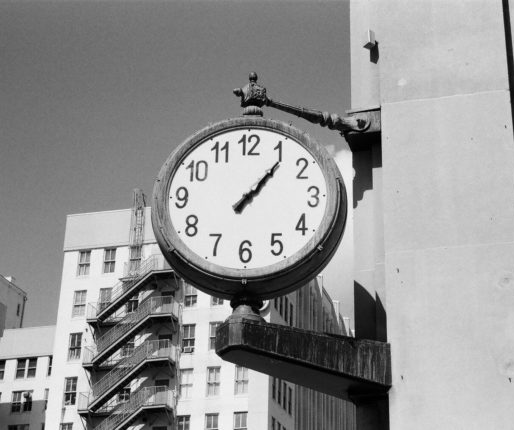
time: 1:06
